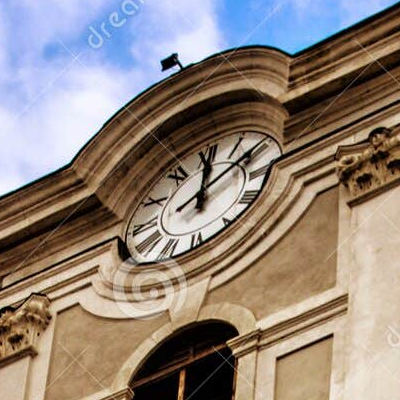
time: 12:09
